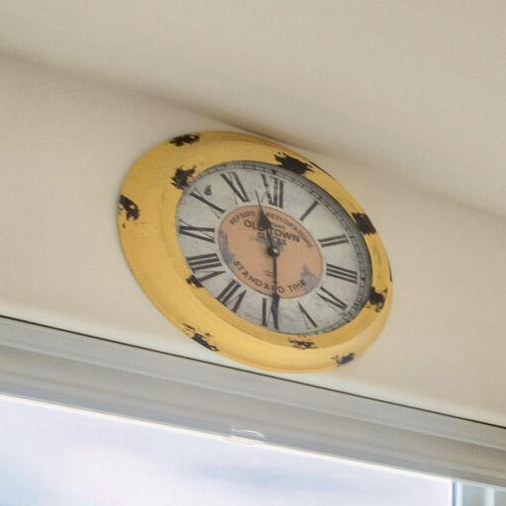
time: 11:29
